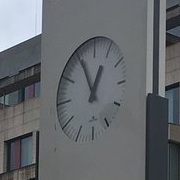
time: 12:55
